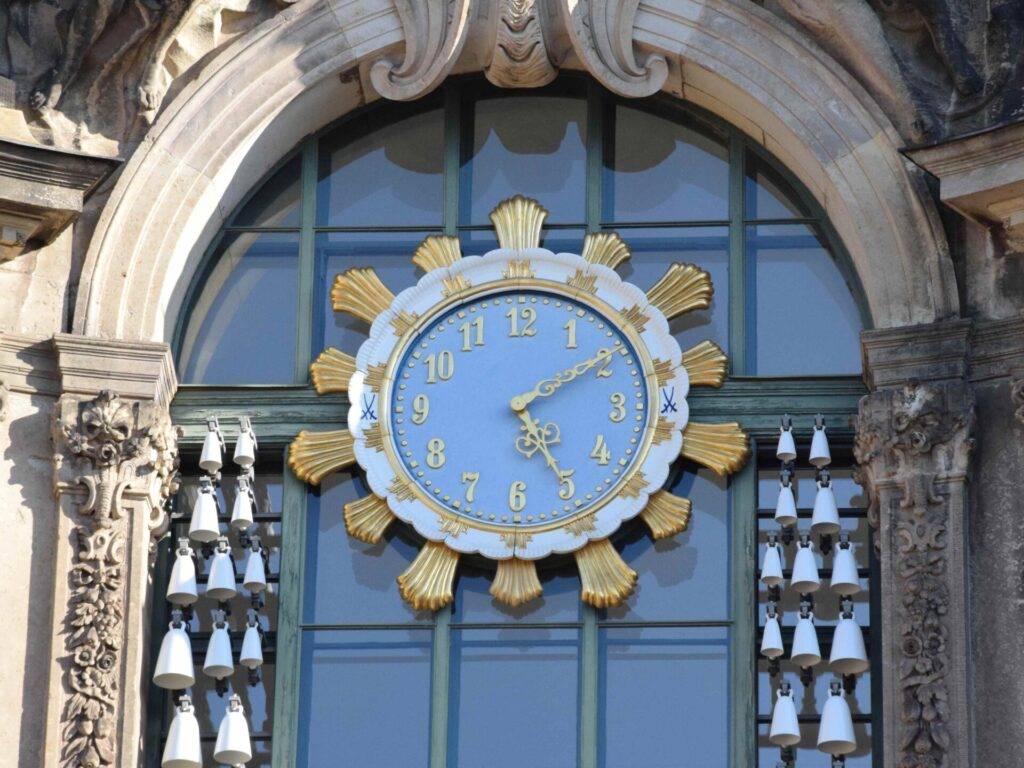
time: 5:10
